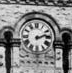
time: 2:12
